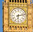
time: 6:12
